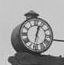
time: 12:32
